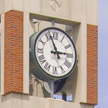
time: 2:56
